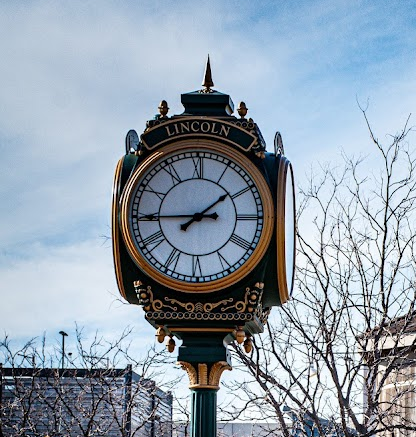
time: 1:44
